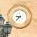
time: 8:36
